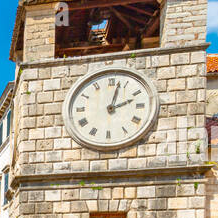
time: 2:02
